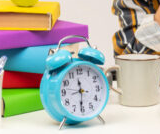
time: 11:30
